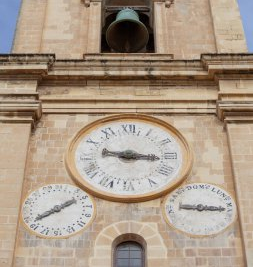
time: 9:16
